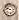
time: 9:42
